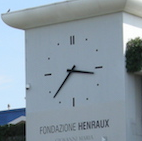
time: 3:37
